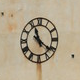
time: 11:21
